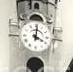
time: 4:01
